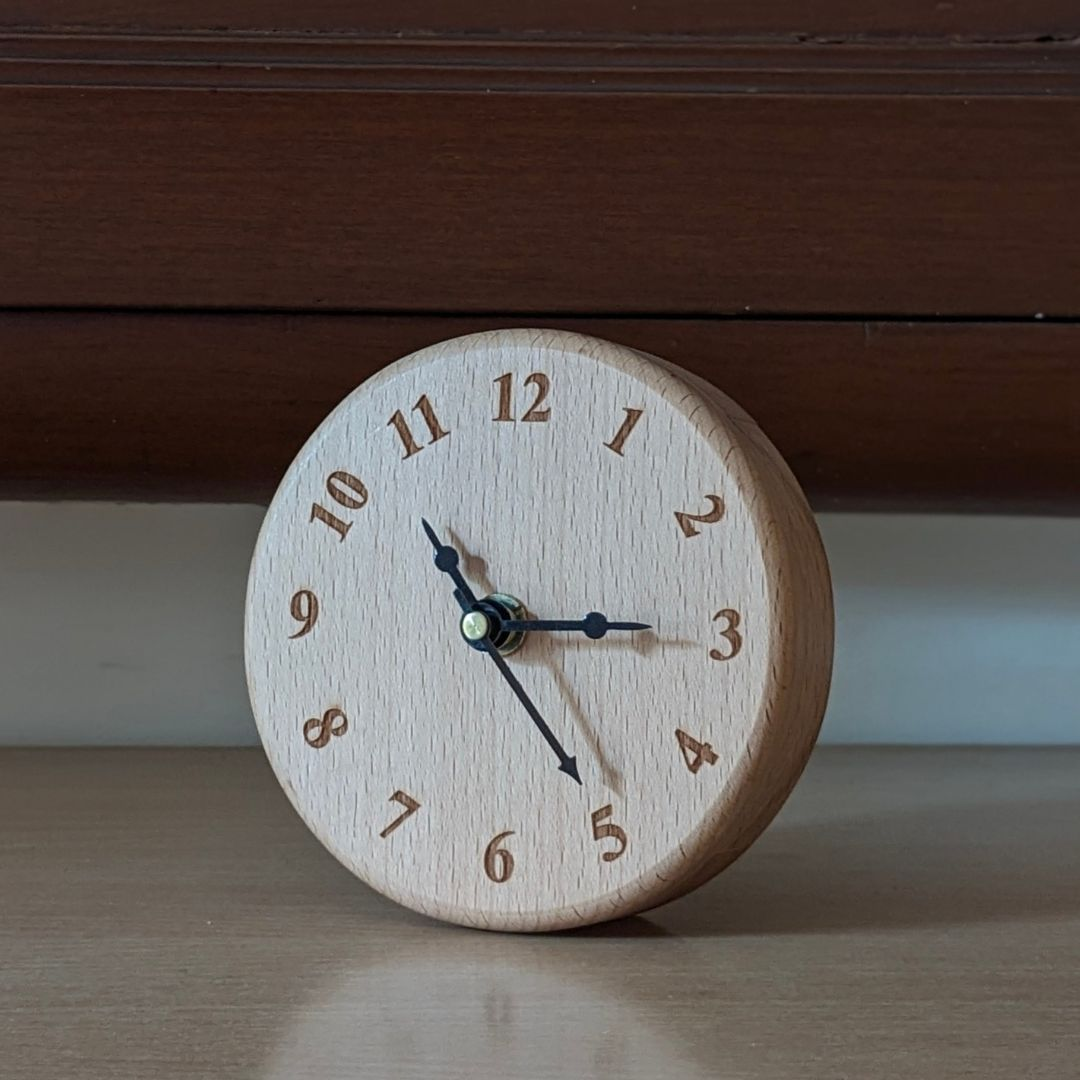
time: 10:14
